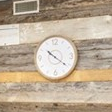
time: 10:21
